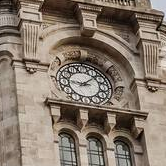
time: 9:07
